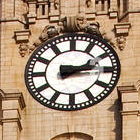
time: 2:14
